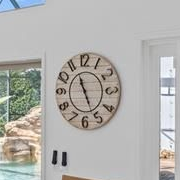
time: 11:26
